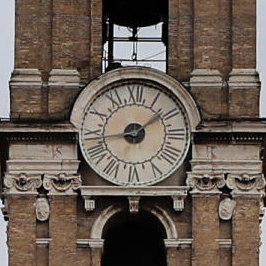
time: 1:43
